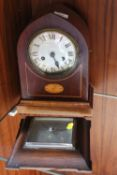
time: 5:26
